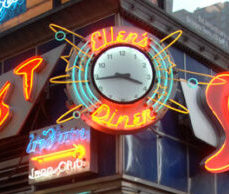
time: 3:43
